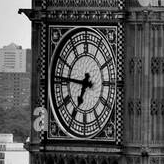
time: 6:46
